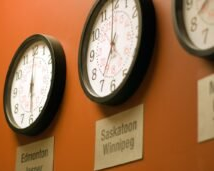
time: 6:59
